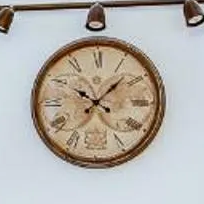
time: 10:07
